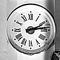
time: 2:13
